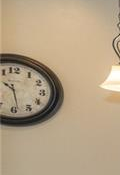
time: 10:28
